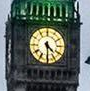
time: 4:29
